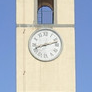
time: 8:12
